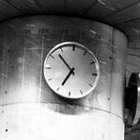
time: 6:52
